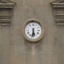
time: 5:31
